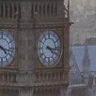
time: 4:16
